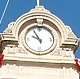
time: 9:55
